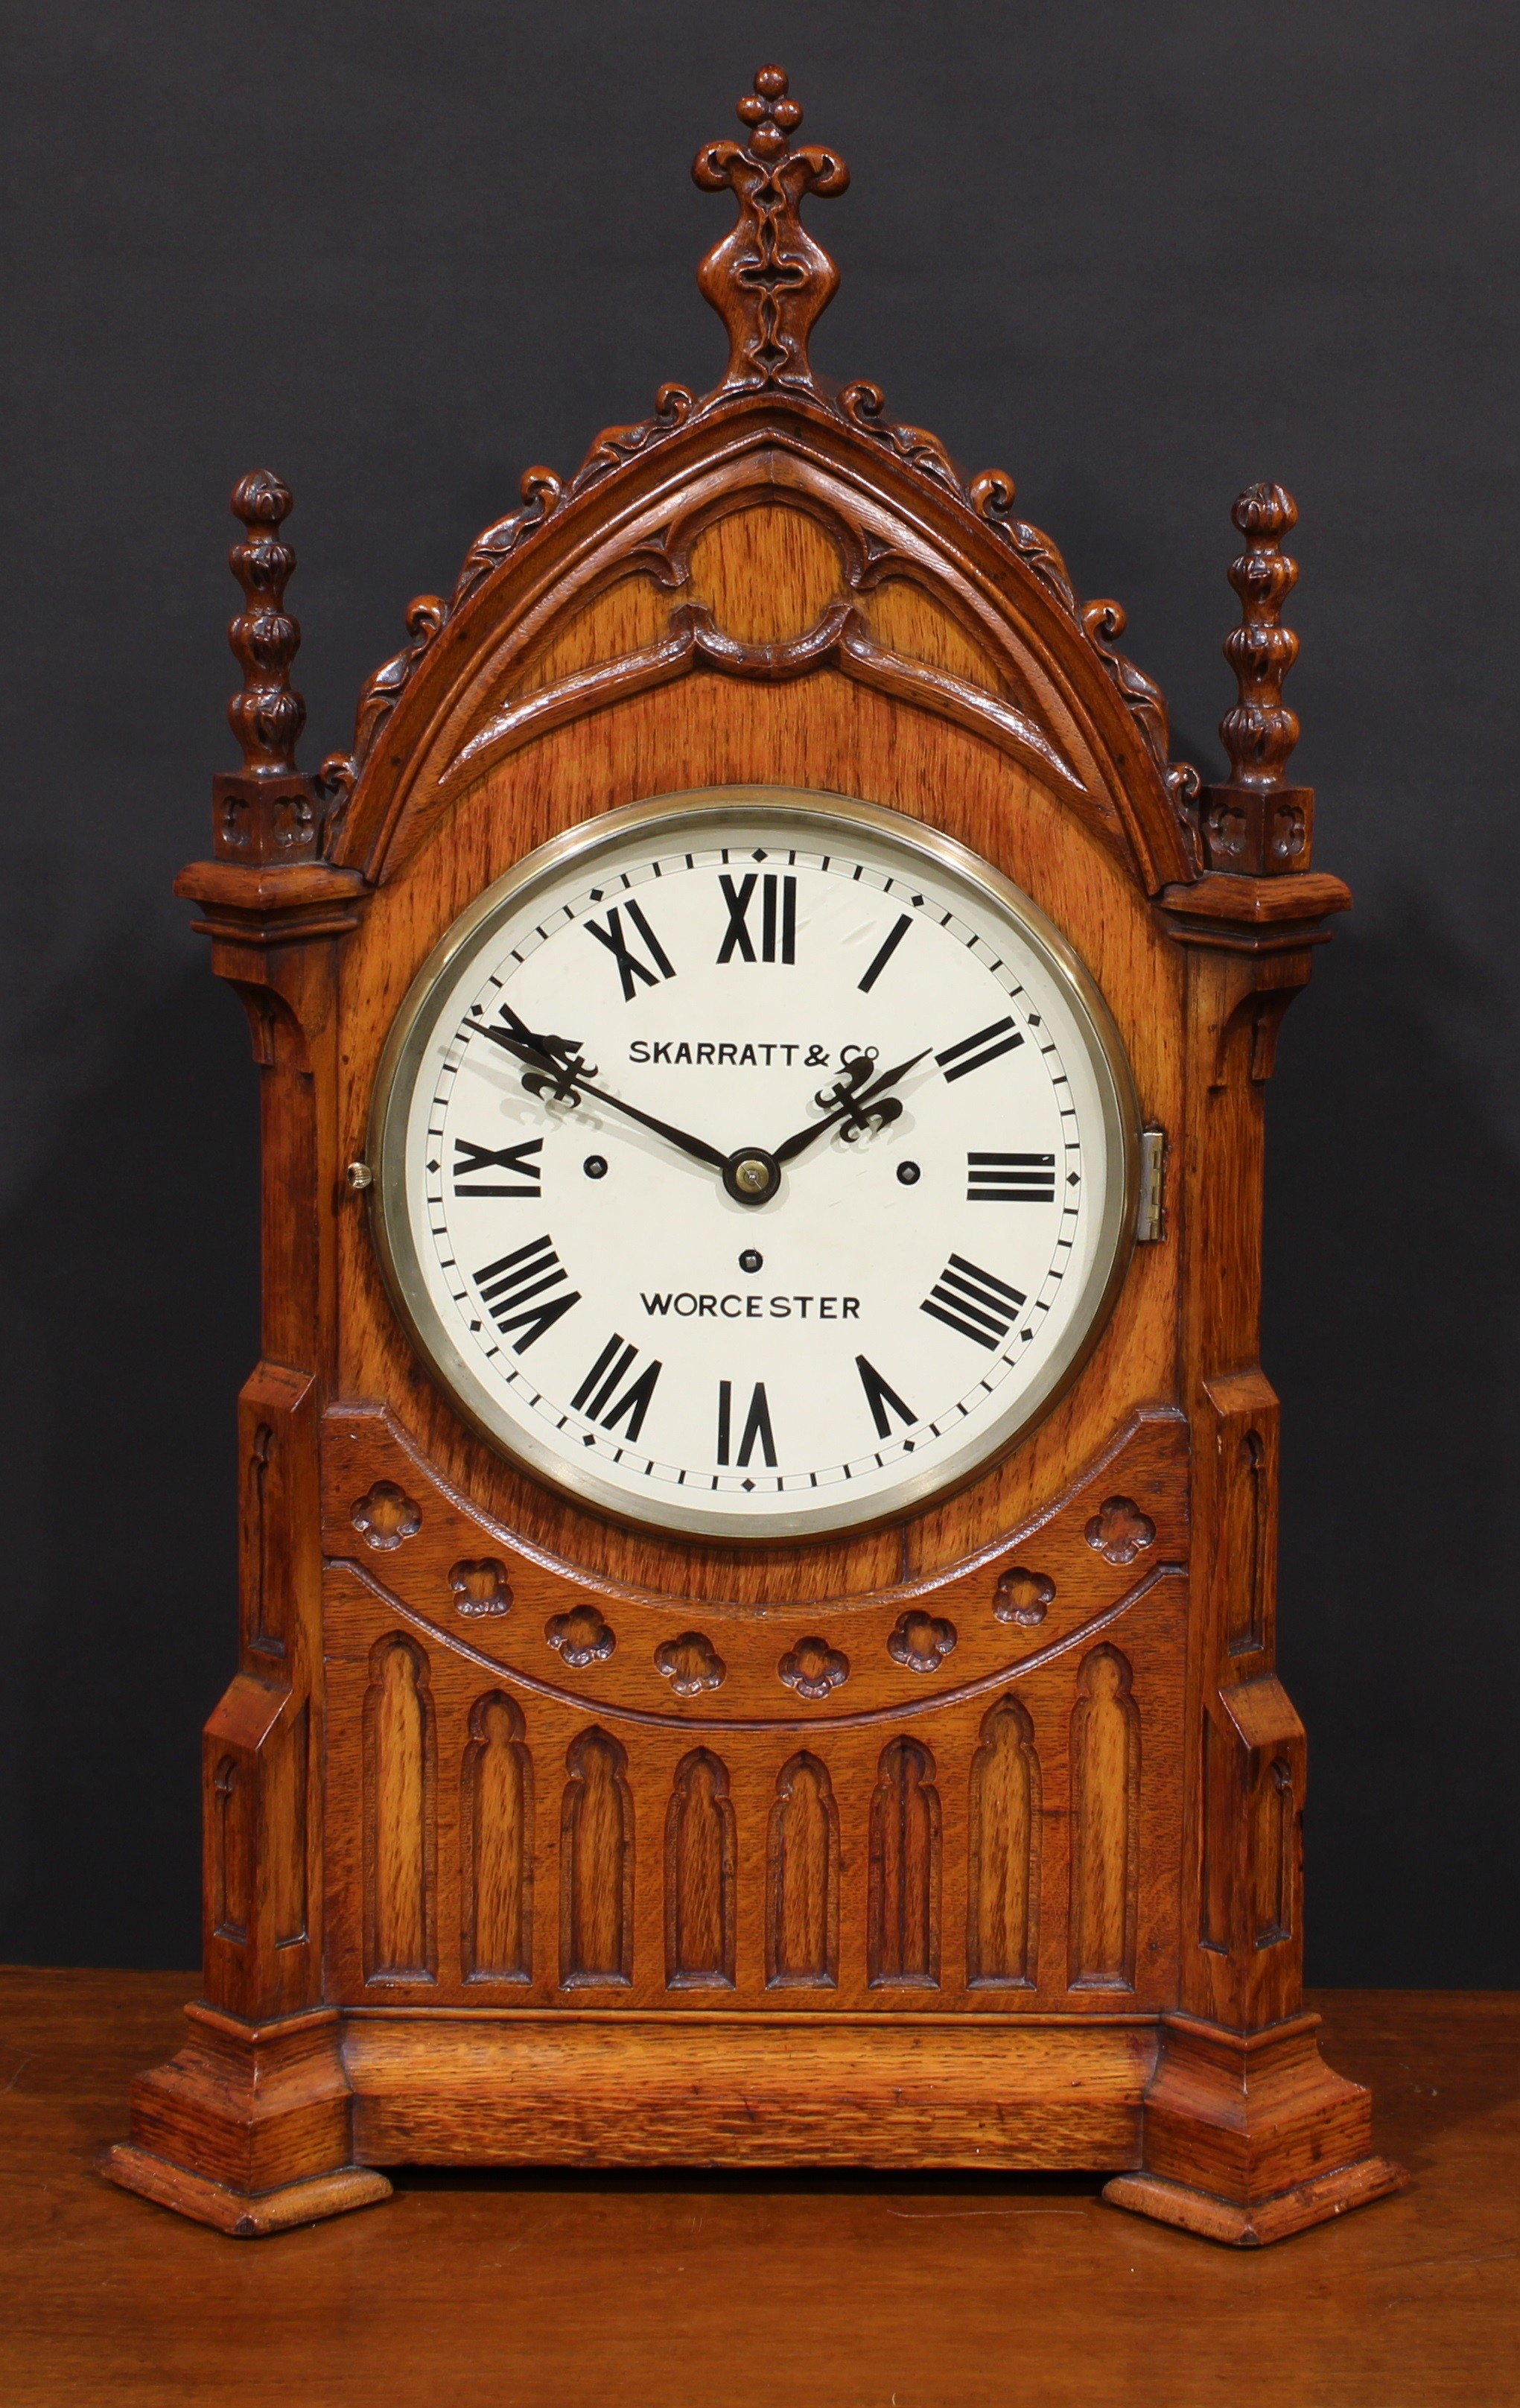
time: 1:49
